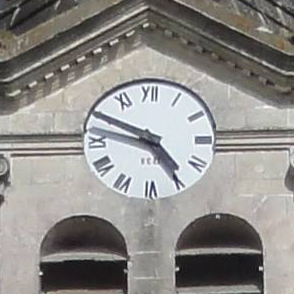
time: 4:49
